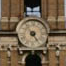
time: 4:53
